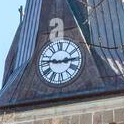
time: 2:46
